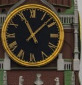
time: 11:07
